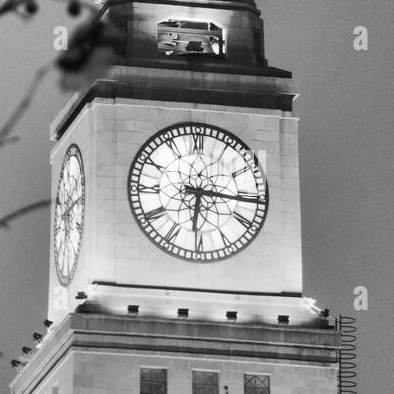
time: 6:15
